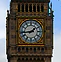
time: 1:43
